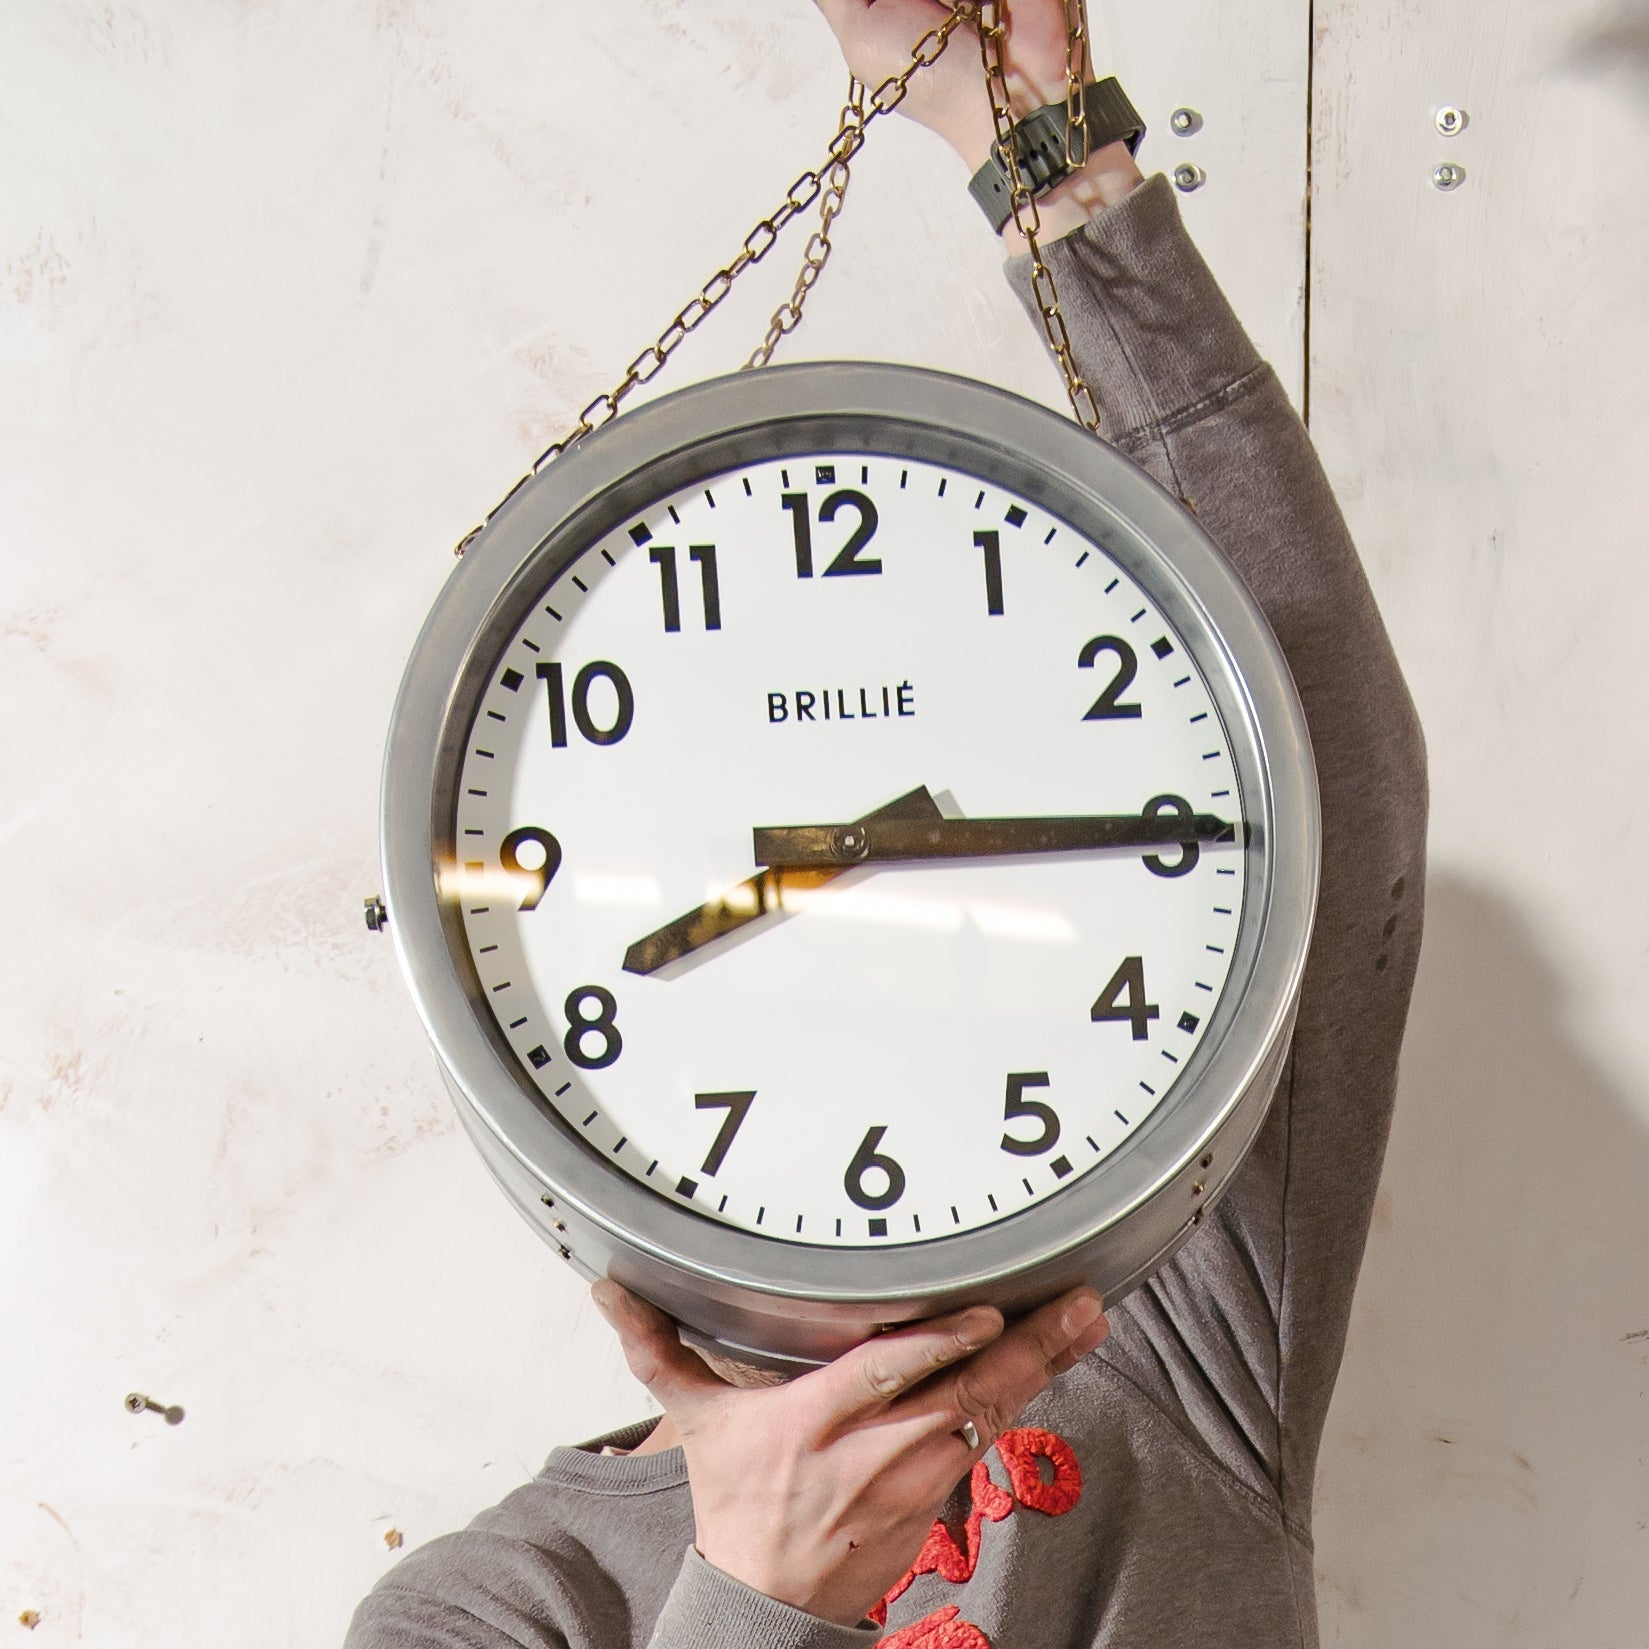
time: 8:14
